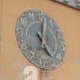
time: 5:01
